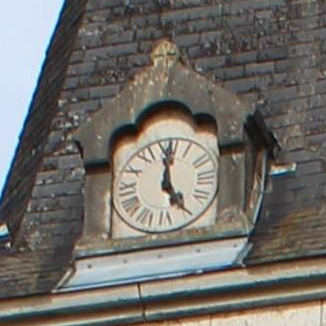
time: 5:00
